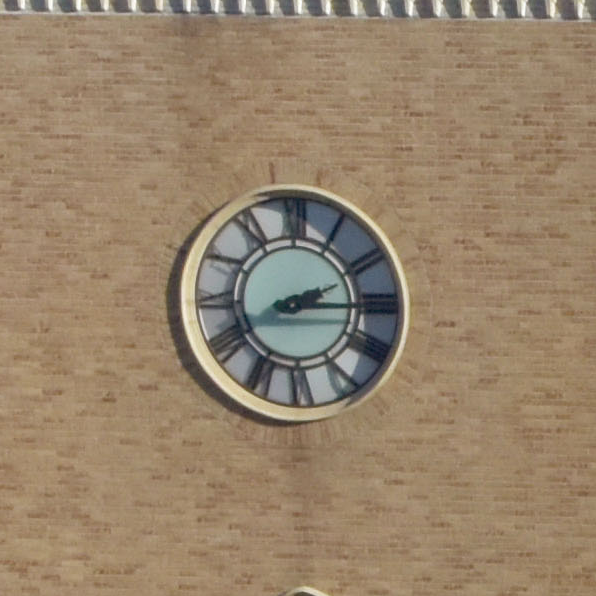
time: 2:15
